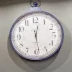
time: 12:28
